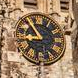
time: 8:54
